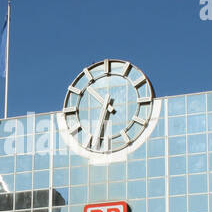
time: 6:32
